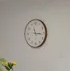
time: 11:15
